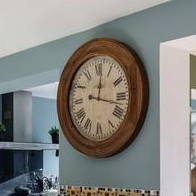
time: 12:17
